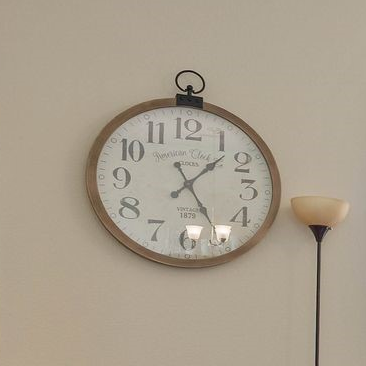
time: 1:25
